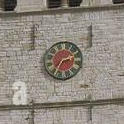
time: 2:35
